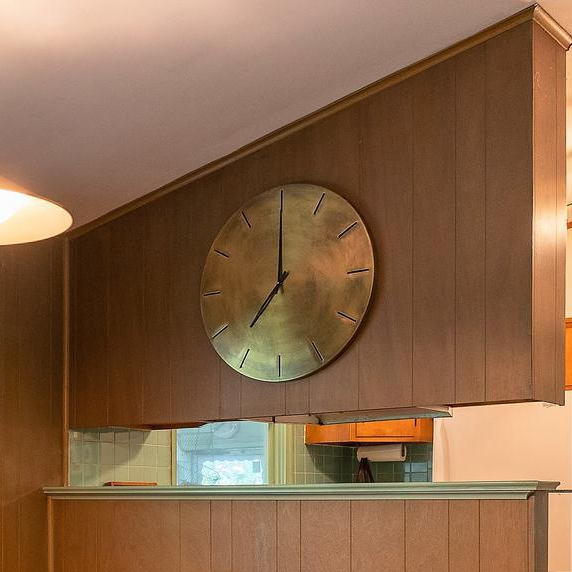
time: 7:00
